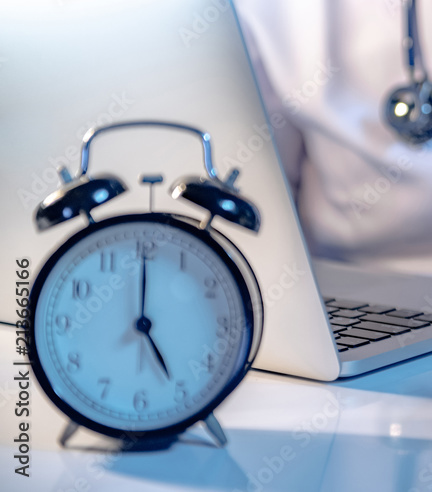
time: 5:00
